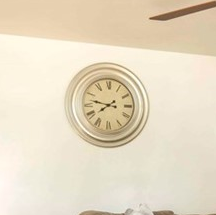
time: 7:47
